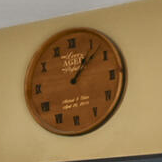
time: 1:07
